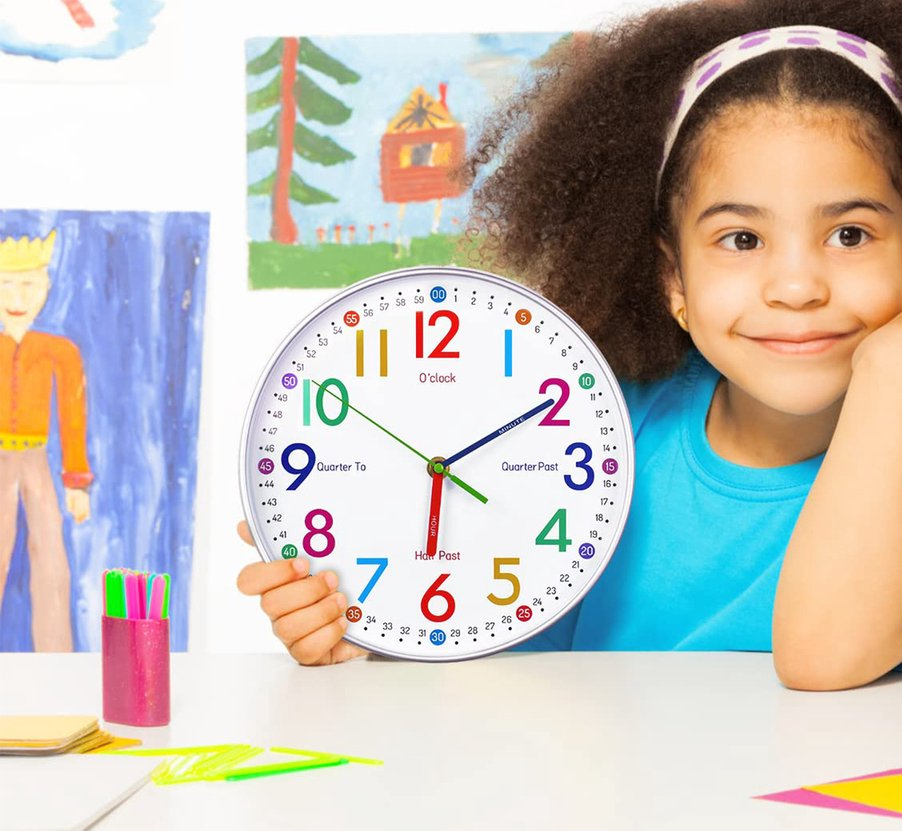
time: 6:10
